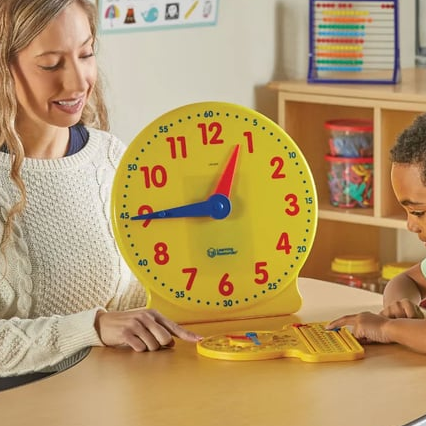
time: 12:44
